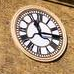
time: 11:13
